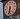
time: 6:32
